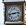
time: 2:42
